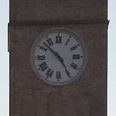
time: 4:52
